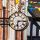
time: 6:14
